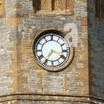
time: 3:35
